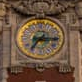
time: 7:15
